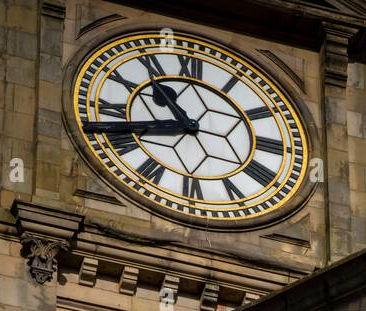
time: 10:42
